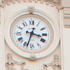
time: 3:33
